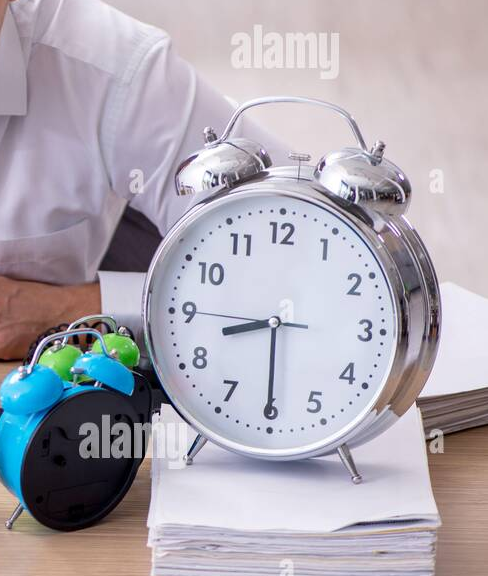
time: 8:30
